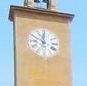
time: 11:49
